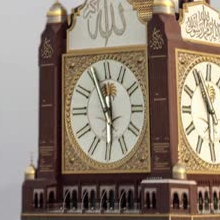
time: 11:29
